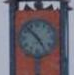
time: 4:52
